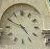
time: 4:49
